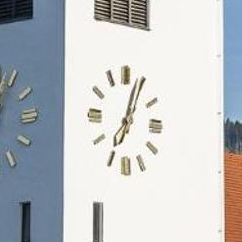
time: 7:03
